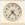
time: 4:36
